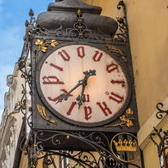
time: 6:38
